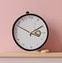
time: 3:49
